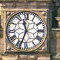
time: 11:33
